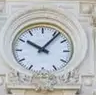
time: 10:06
